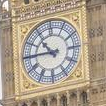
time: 10:45
